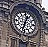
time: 12:32
